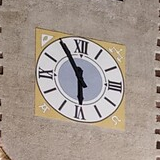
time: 5:54
